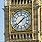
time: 1:38
